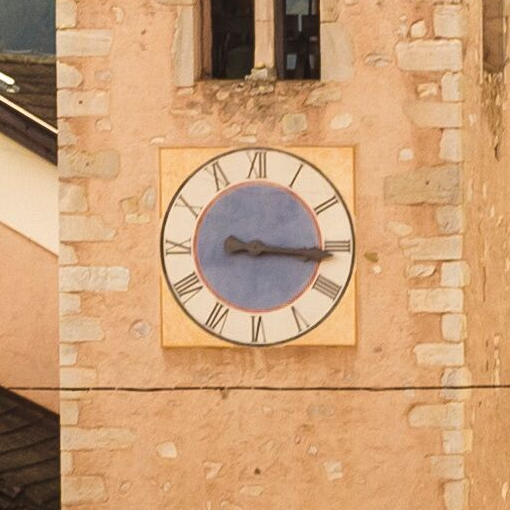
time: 3:16
